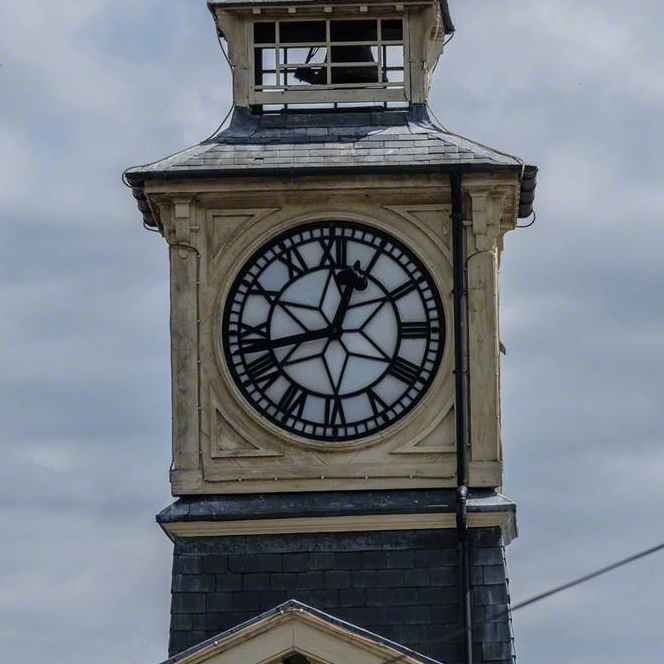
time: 12:42
